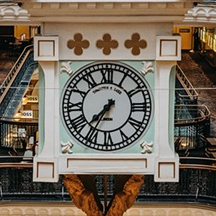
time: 7:34
